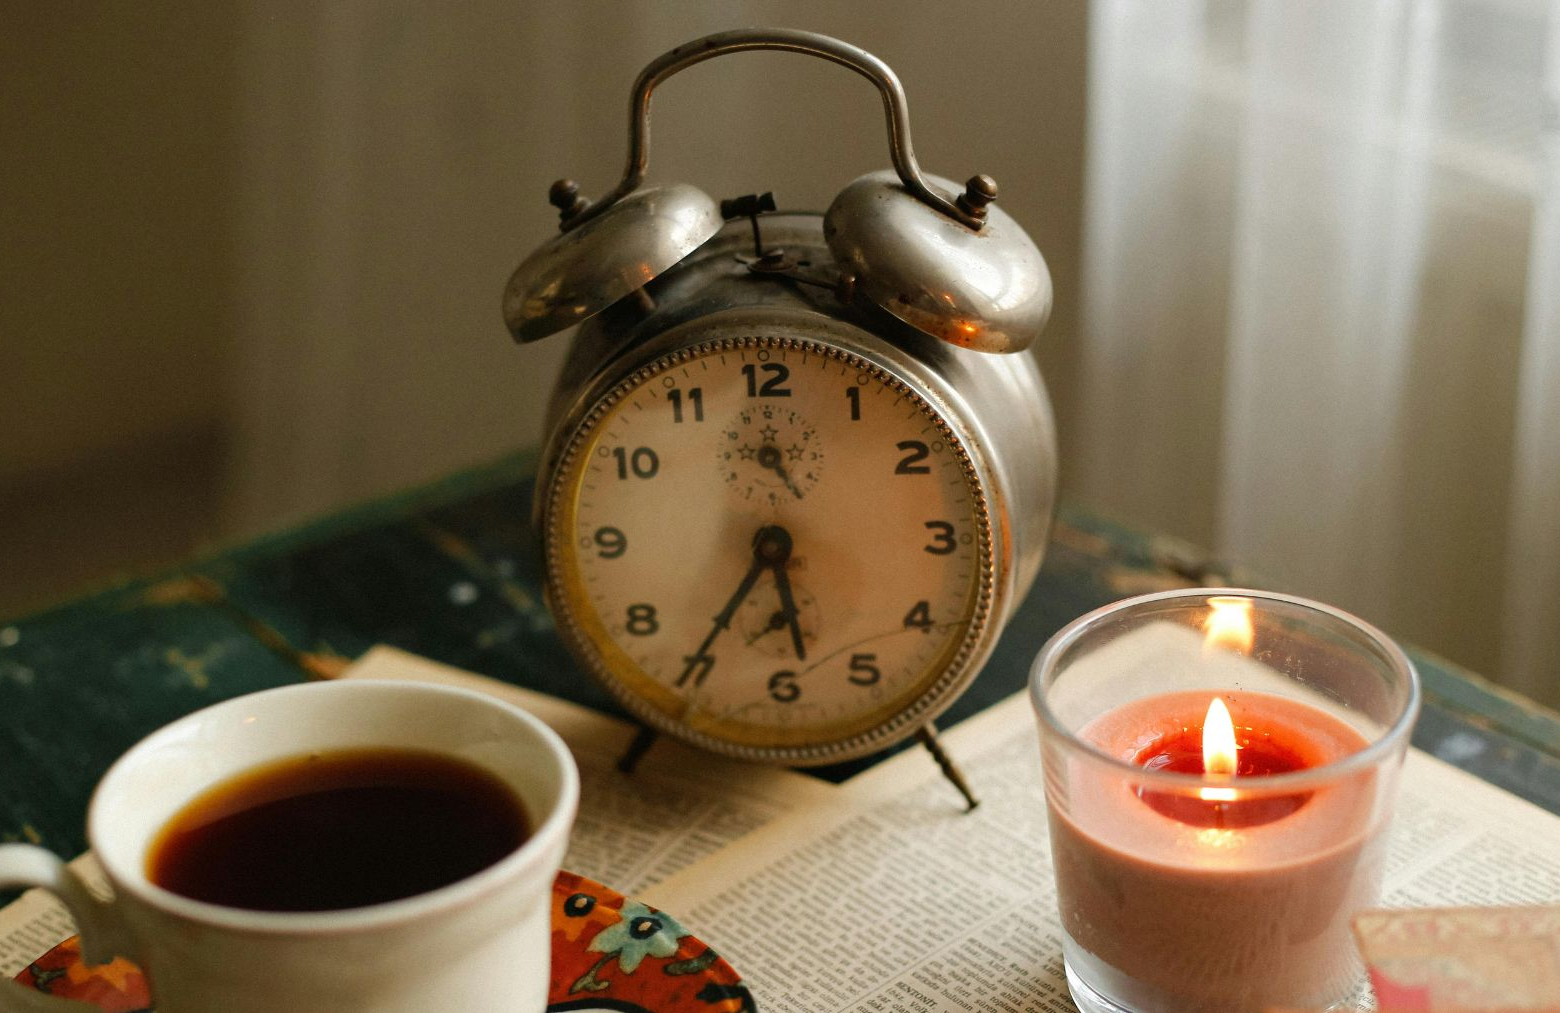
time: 5:35
